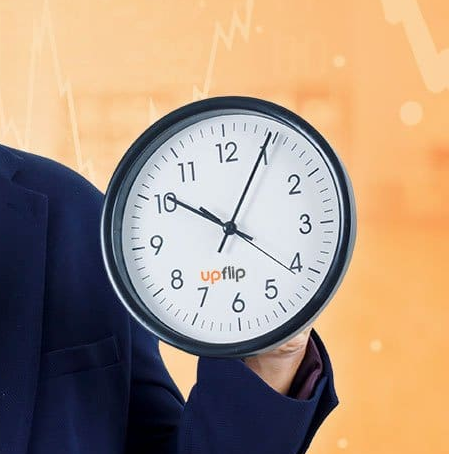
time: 10:04
